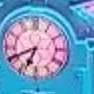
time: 6:40
